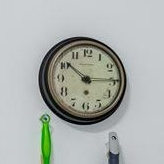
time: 10:14
